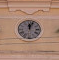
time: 12:03
